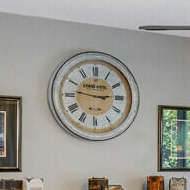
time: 2:46
